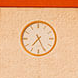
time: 7:25
